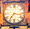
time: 7:17
